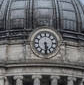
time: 5:29
